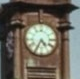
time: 4:34
